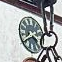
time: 3:40
